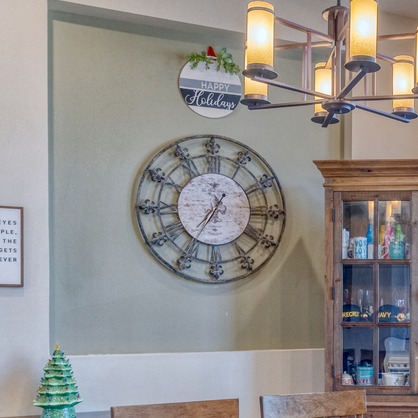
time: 7:35
